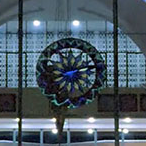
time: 8:12
